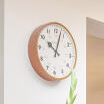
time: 10:02
